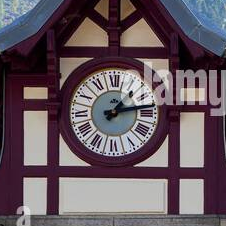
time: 1:13
